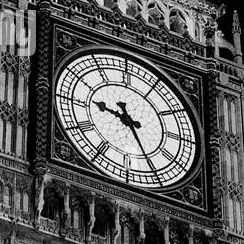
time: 9:25
